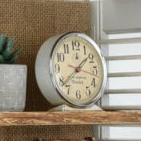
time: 1:38
